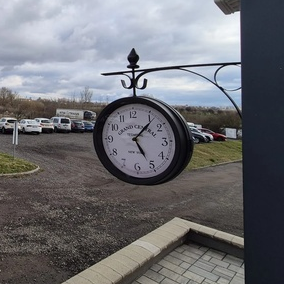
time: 5:06
